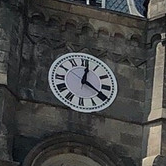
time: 12:19
